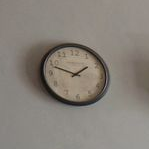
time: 1:48
